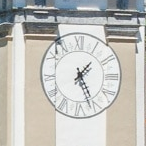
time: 1:26
